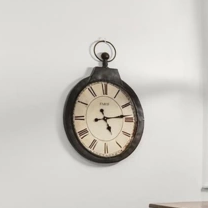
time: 5:13
